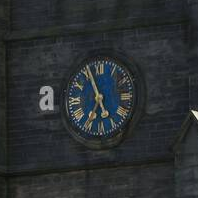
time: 6:56
